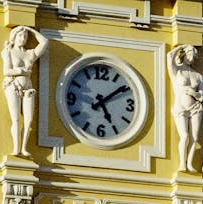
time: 5:09
